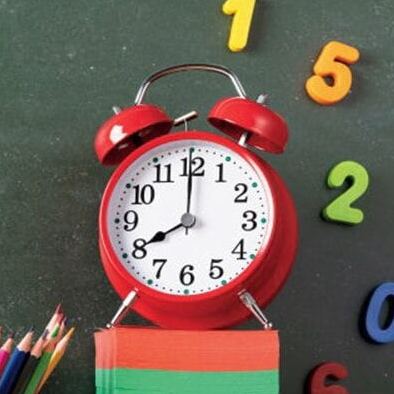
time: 8:00
